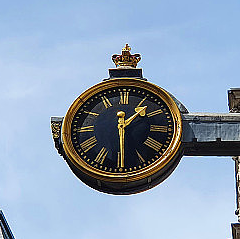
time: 1:29
